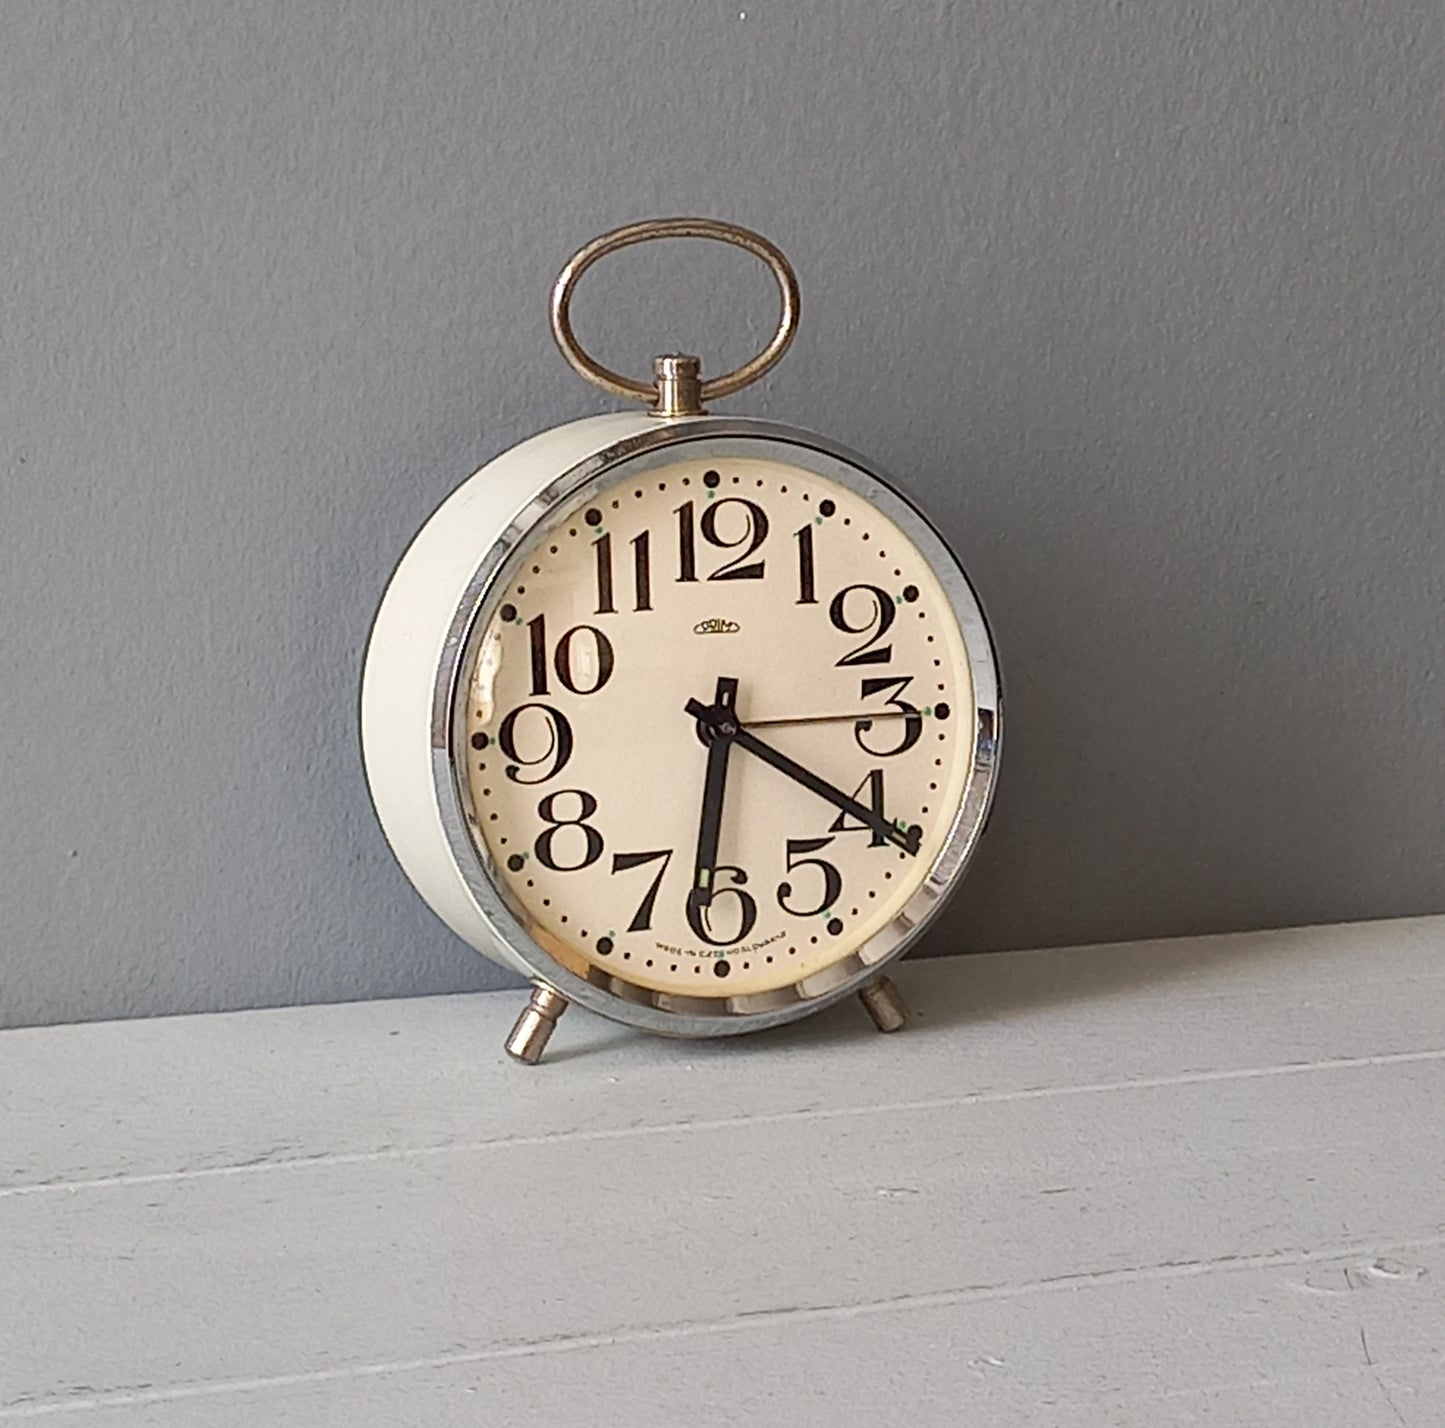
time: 6:20
